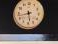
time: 5:42
